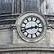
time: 2:42
